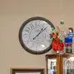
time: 1:07
